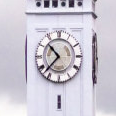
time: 10:37
